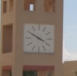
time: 3:50
